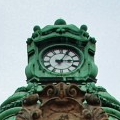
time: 3:04
